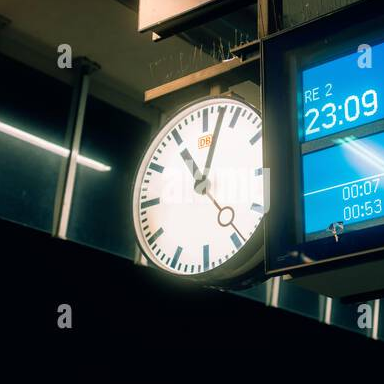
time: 11:02
